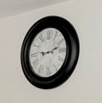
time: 9:12
